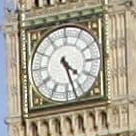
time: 4:27
